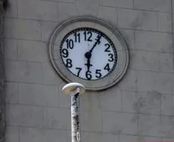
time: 6:05
